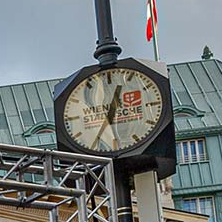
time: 12:34
